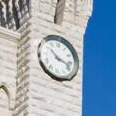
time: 10:17
